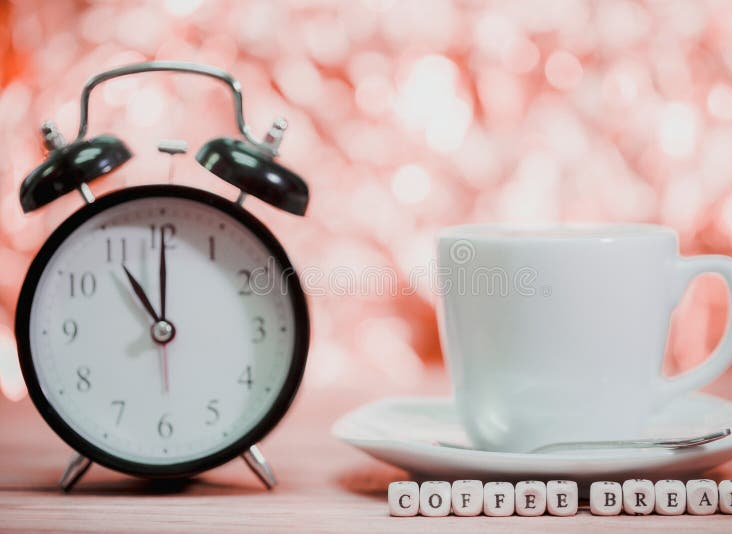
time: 11:00
